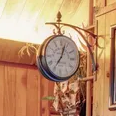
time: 7:03
